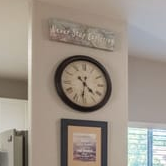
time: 4:31
